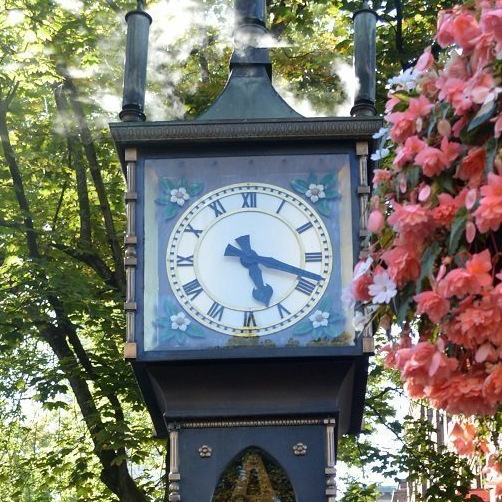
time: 5:18
